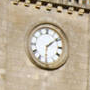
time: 1:30
